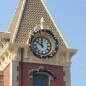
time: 11:50
